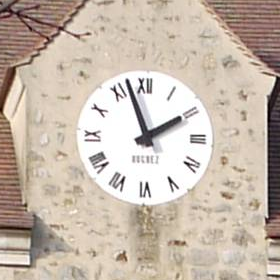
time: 1:57
